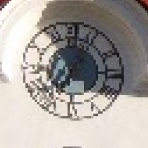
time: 7:04
